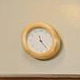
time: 11:23
